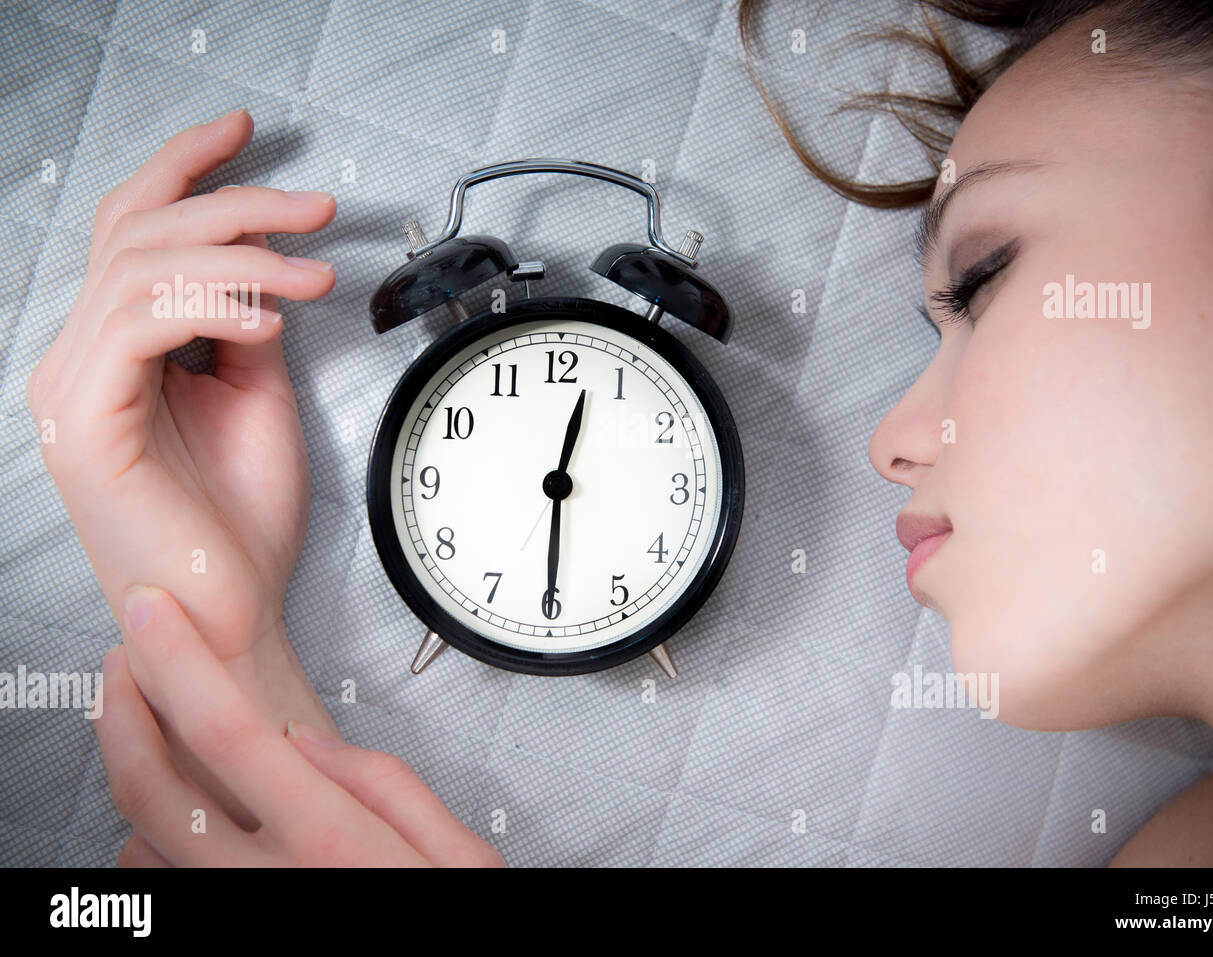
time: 12:30
